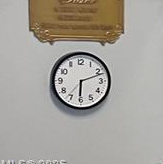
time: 6:11
